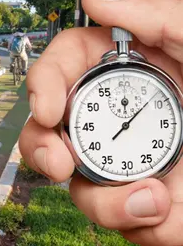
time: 12:07
